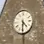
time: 4:30
